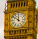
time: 11:51
